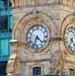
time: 4:33
